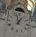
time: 12:57
